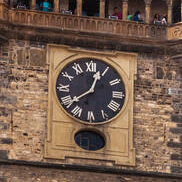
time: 12:38
